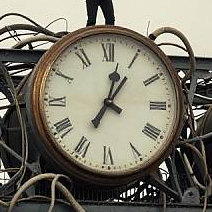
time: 7:02
